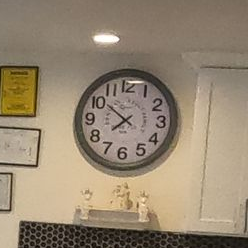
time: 7:51
